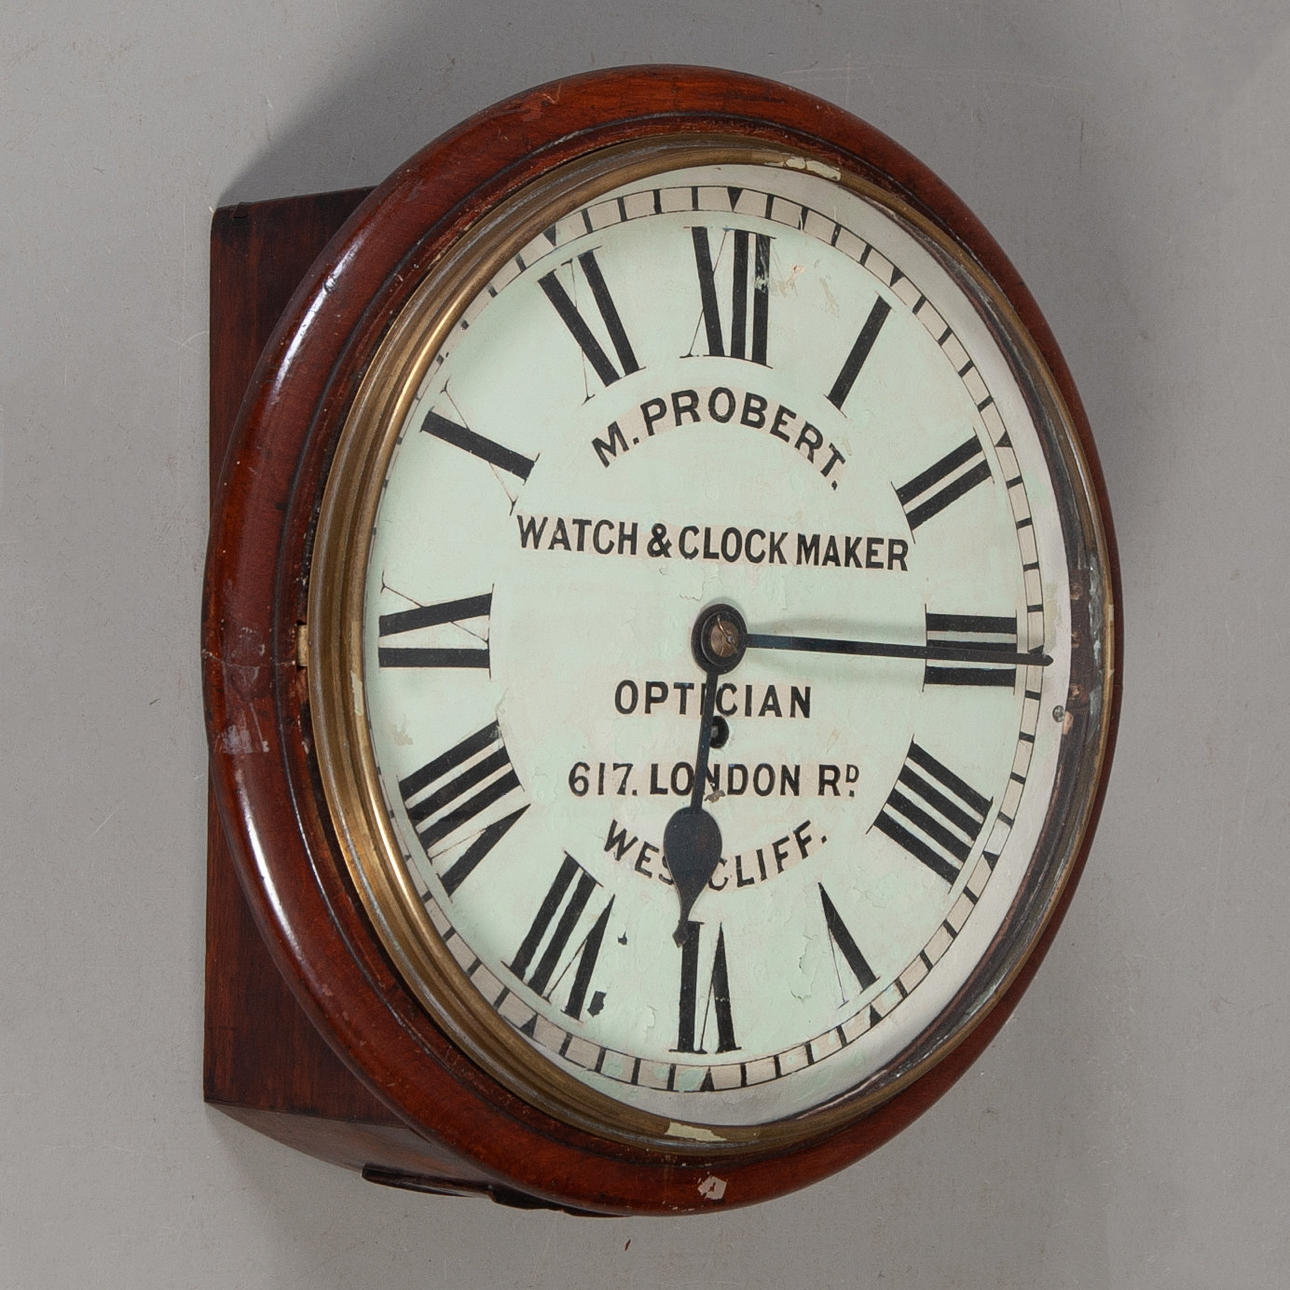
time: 6:14
